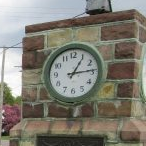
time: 1:13
